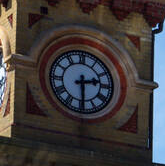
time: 2:29
